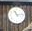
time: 11:13
